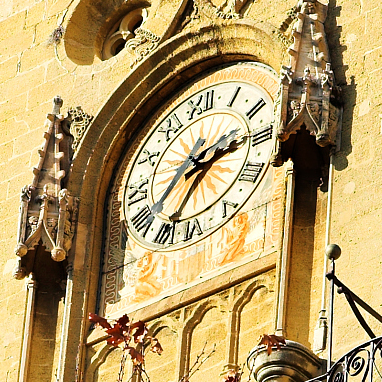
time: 2:36
